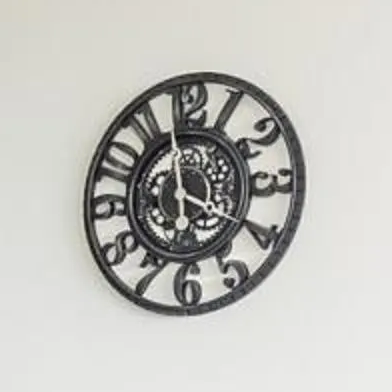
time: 3:58
